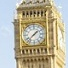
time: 1:37
